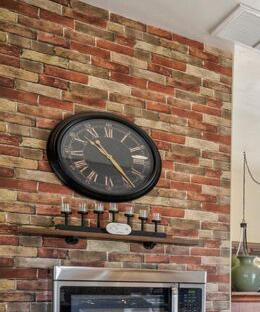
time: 10:23
